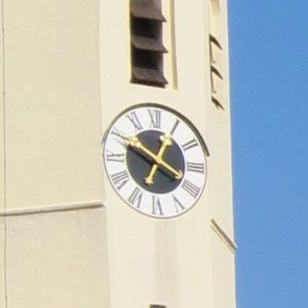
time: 12:49
